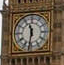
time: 11:31
